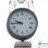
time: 9:44
